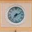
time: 7:11
